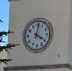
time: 4:01
